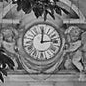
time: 12:13
